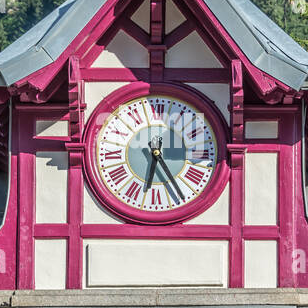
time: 6:24
